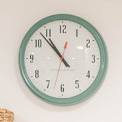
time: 10:53
